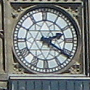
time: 2:20
